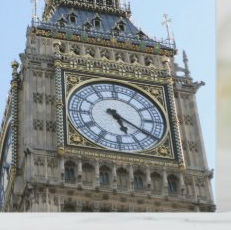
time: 5:20
